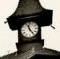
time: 11:24
